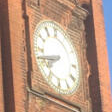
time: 7:42
